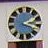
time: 2:18
